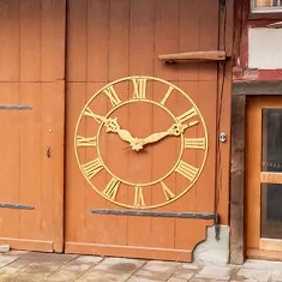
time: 10:11
